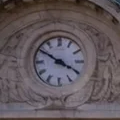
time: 3:50
